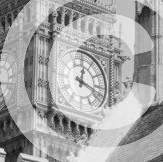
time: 12:18
